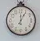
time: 12:05
